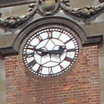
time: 2:48
